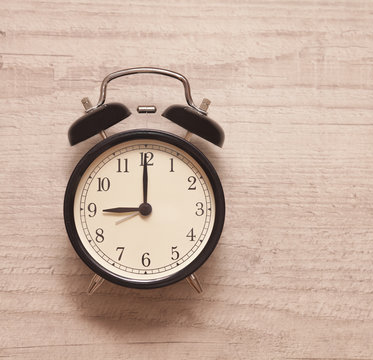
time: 9:00
